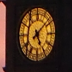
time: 5:08
